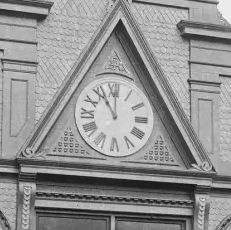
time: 11:00
